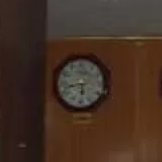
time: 5:42
